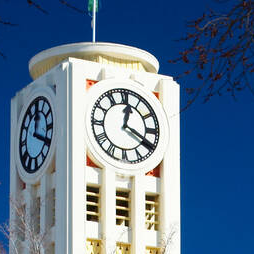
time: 12:19
